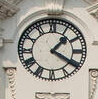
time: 1:20
